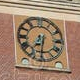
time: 7:31
